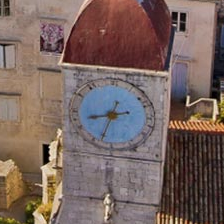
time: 8:33
